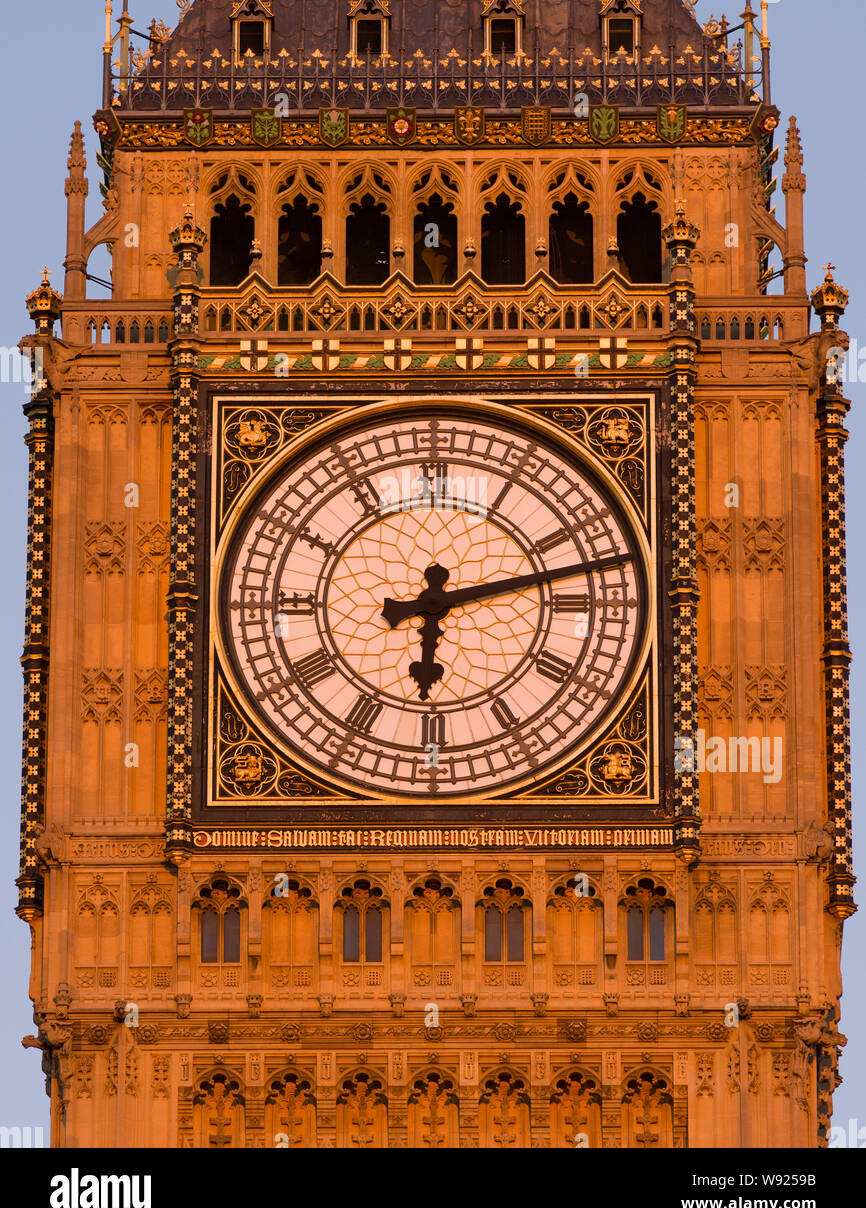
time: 6:12
